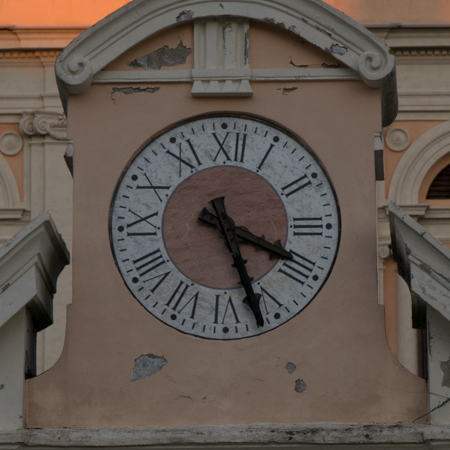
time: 5:18
